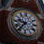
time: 9:36
